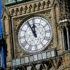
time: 11:55
